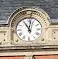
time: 11:02
